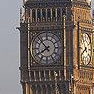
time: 7:52
